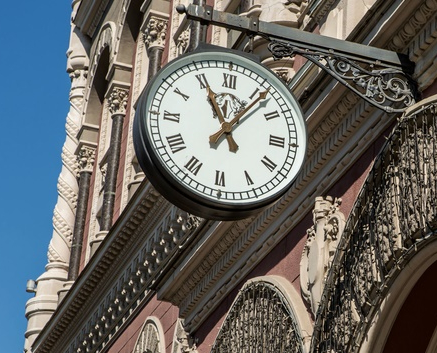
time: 11:06
